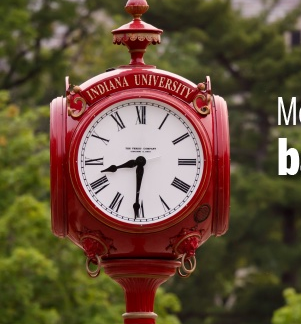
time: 8:30
